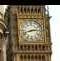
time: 2:42
